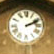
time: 2:11
